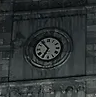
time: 6:53
